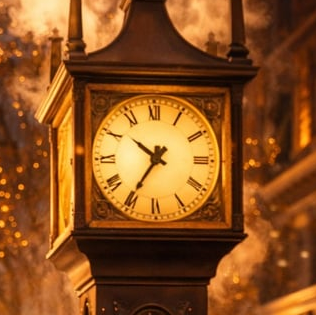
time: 10:35
